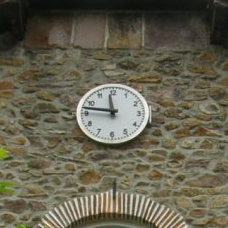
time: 11:46
